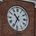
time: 10:34
